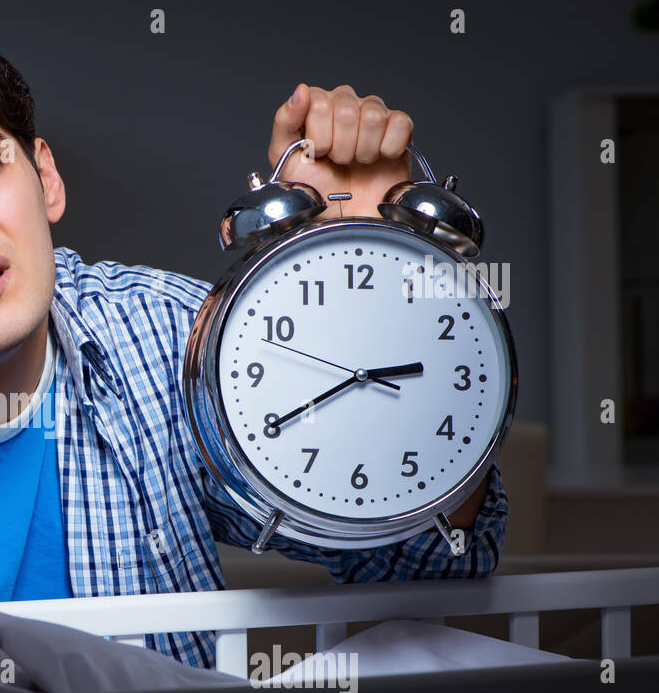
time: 2:40
